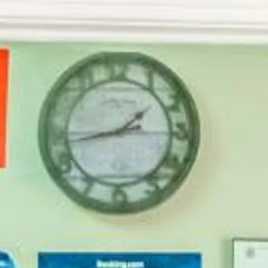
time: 1:43
